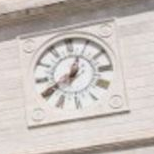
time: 12:40
